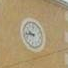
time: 9:43
